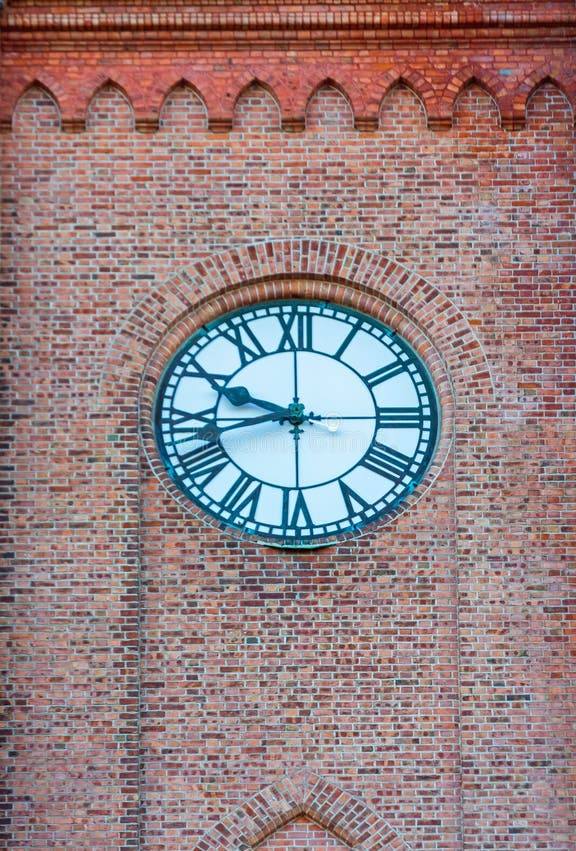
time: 9:42
